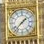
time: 1:37
